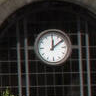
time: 12:09
